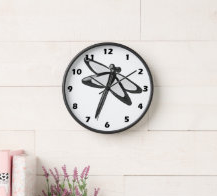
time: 9:33
